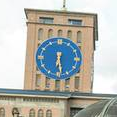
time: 6:28
